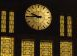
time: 9:44
